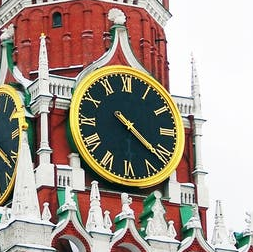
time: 4:21
